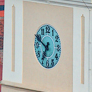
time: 6:49
